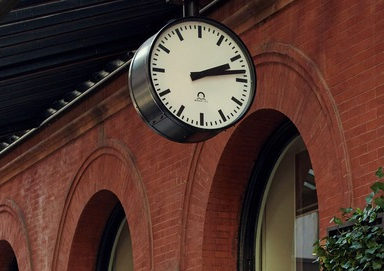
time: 2:13
